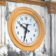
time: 9:32
